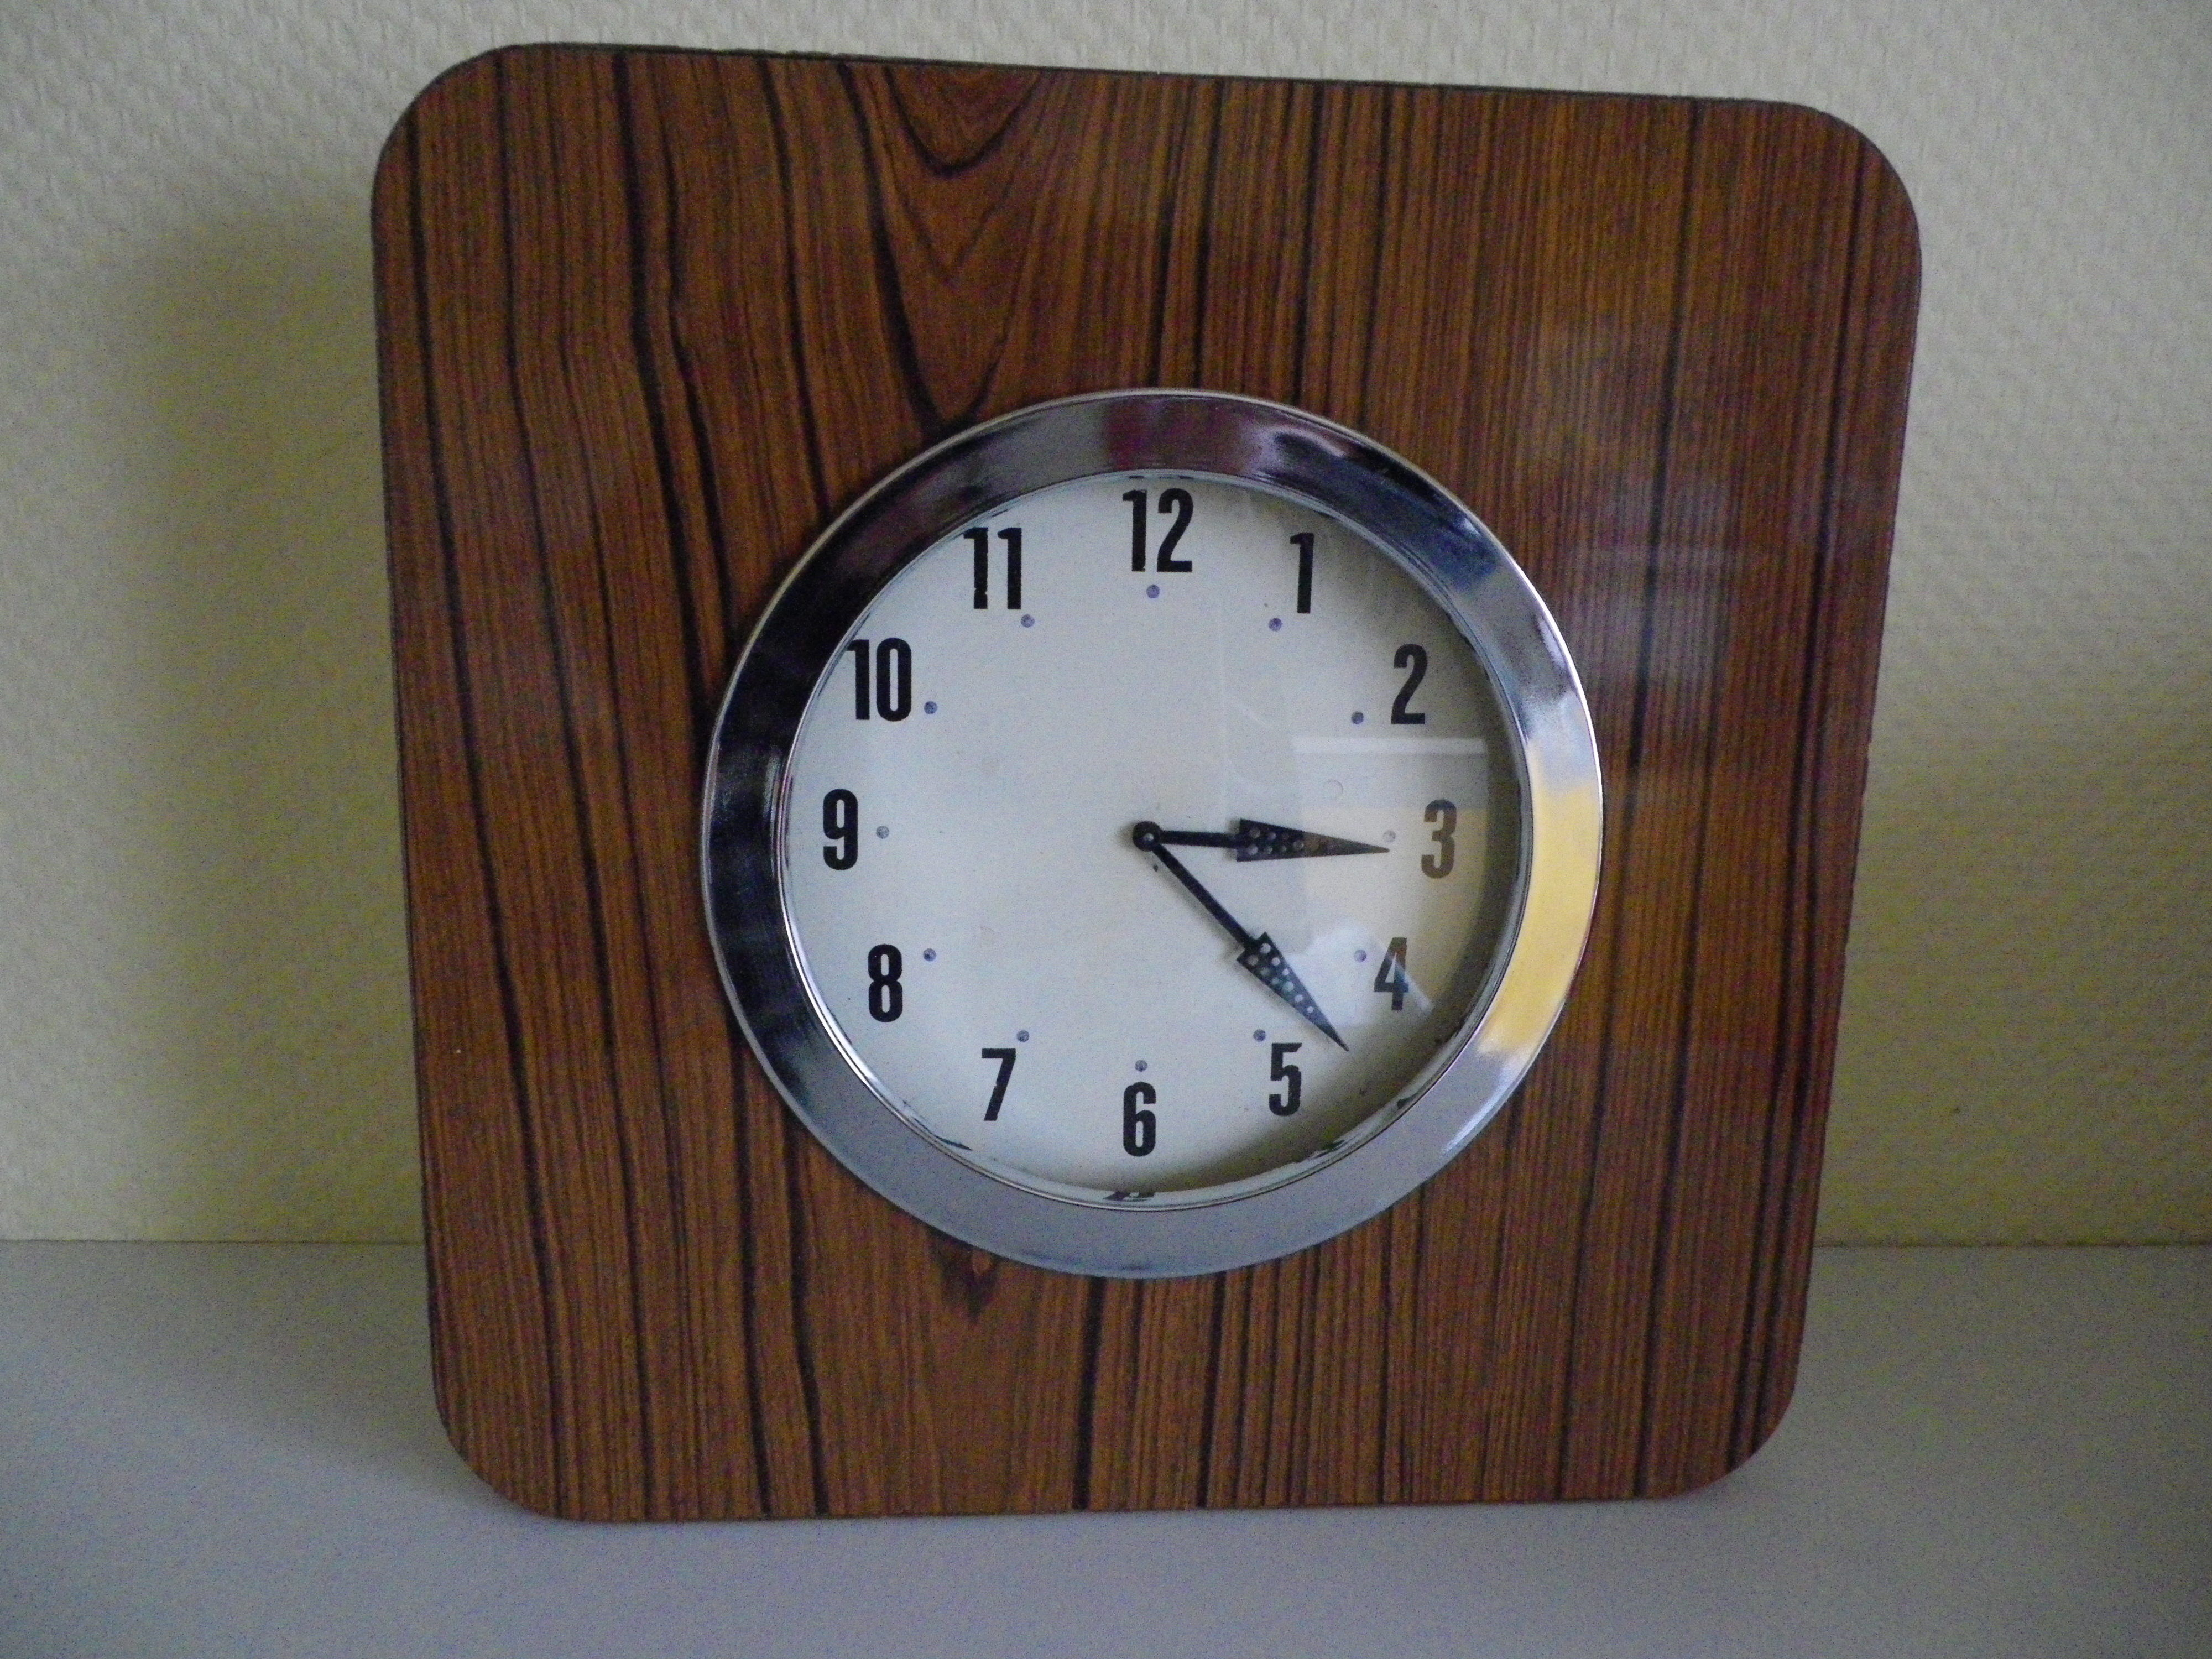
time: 3:22
